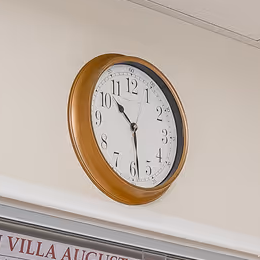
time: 10:28
